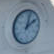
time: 2:02
